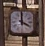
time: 4:00
